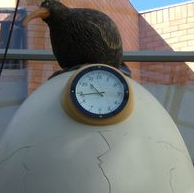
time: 10:43
